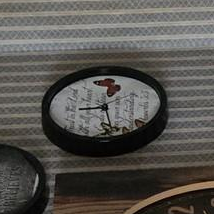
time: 8:27
